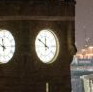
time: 11:50
